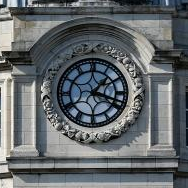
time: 1:18
